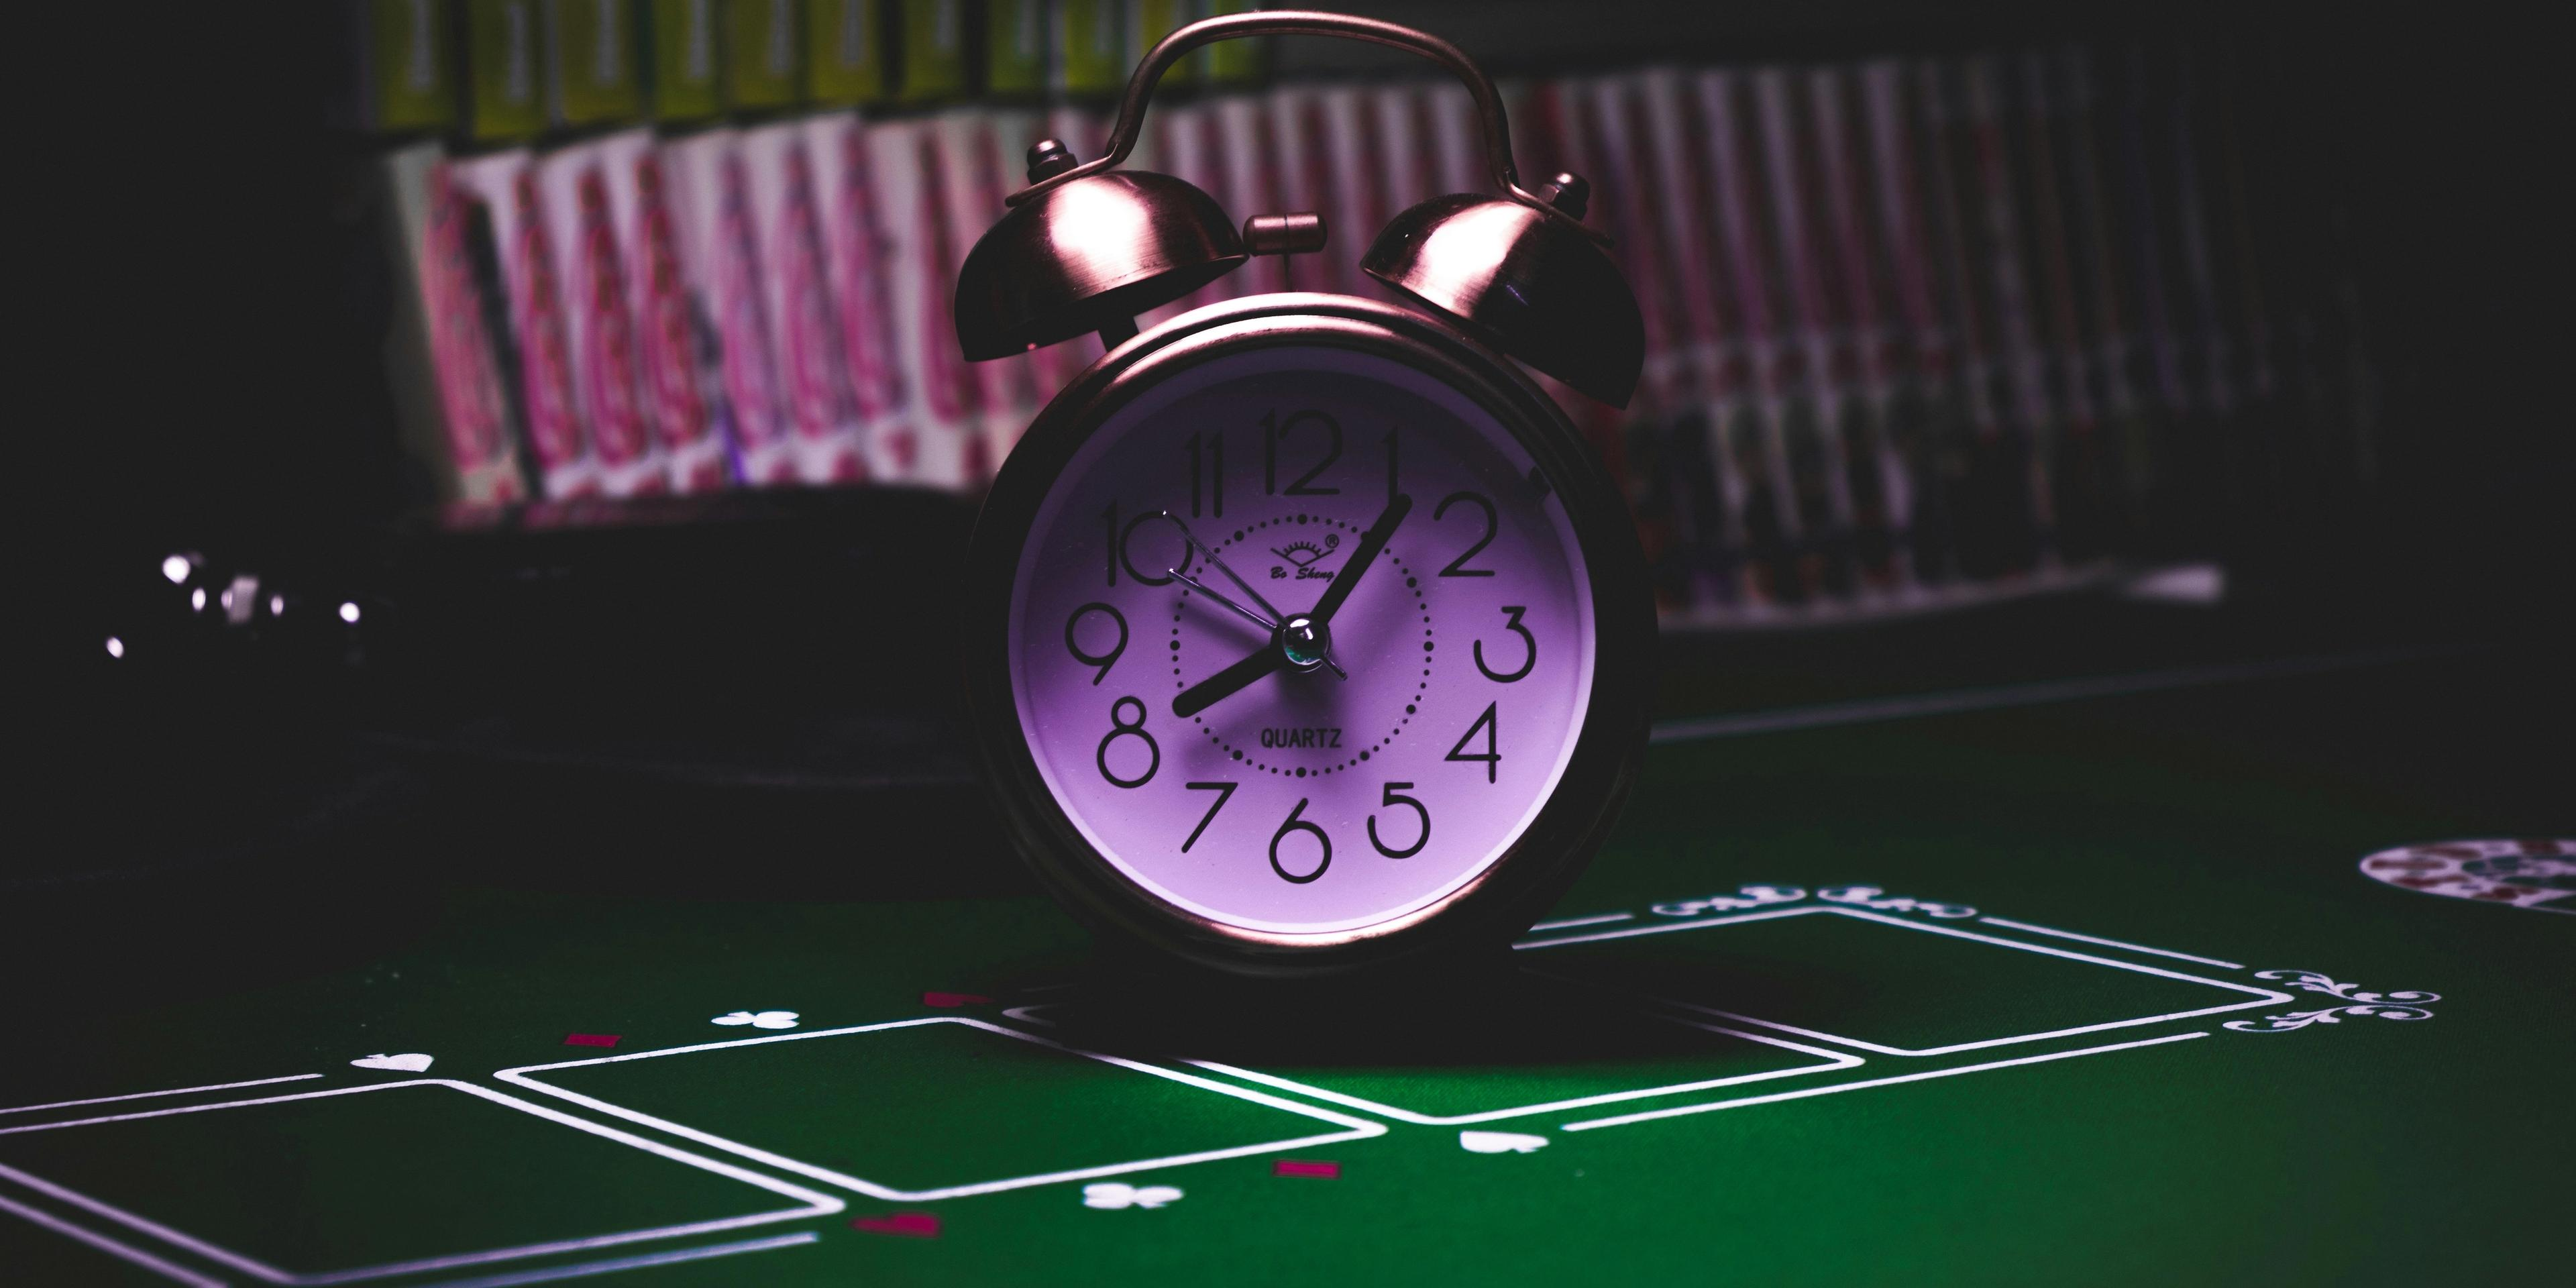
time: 8:06
